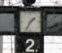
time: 1:35
